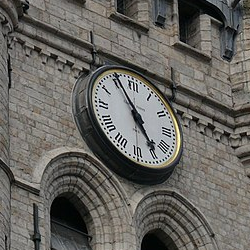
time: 4:55
